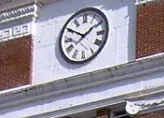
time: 1:50
